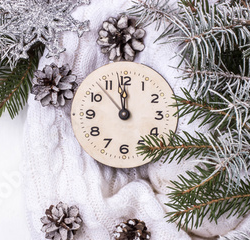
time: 11:58
